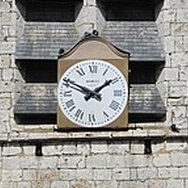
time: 1:49
